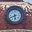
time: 5:41
